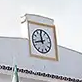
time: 11:42
